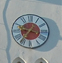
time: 9:36
